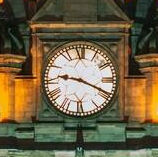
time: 9:19
